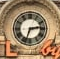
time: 2:33
